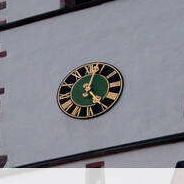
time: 12:24
